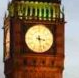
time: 3:28
